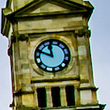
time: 11:48
